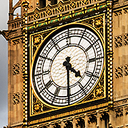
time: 4:30
